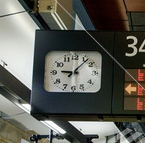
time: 9:07
